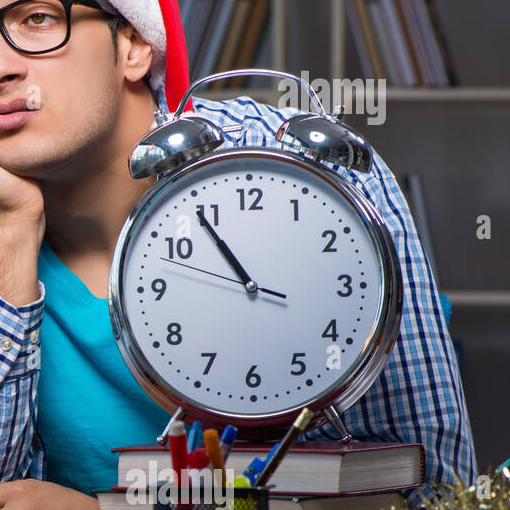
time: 10:54
